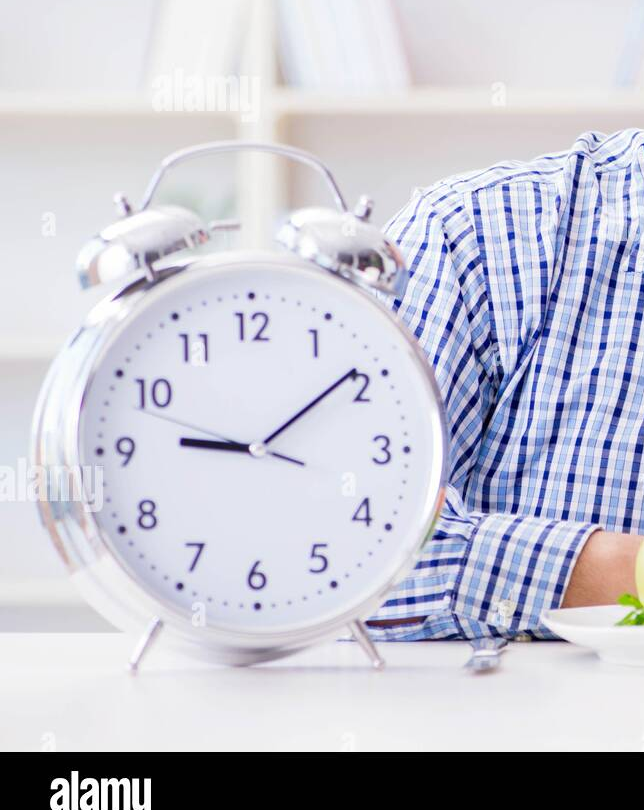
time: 9:09
